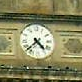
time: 4:37
